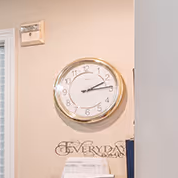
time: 2:14
